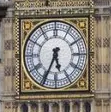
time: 5:34
